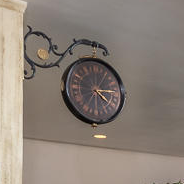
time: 4:14
